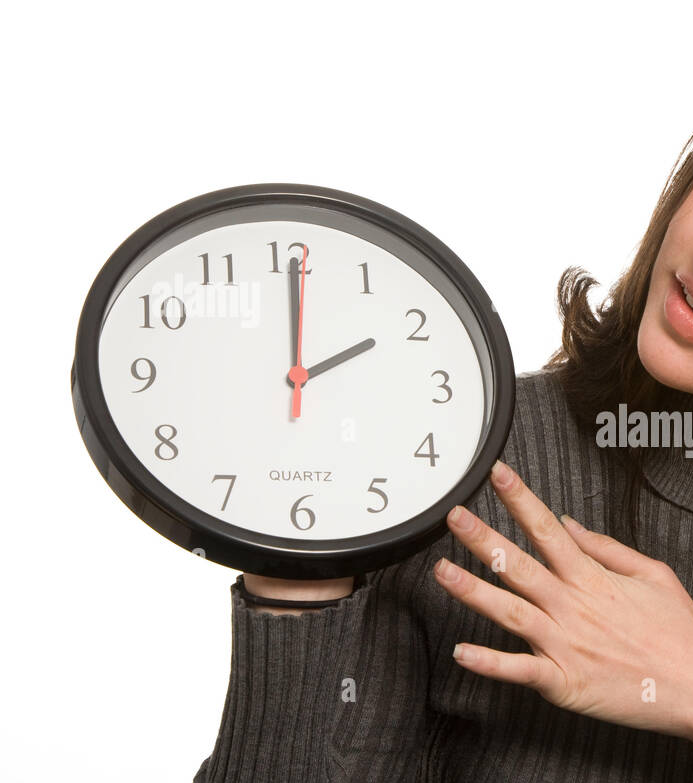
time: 2:00
